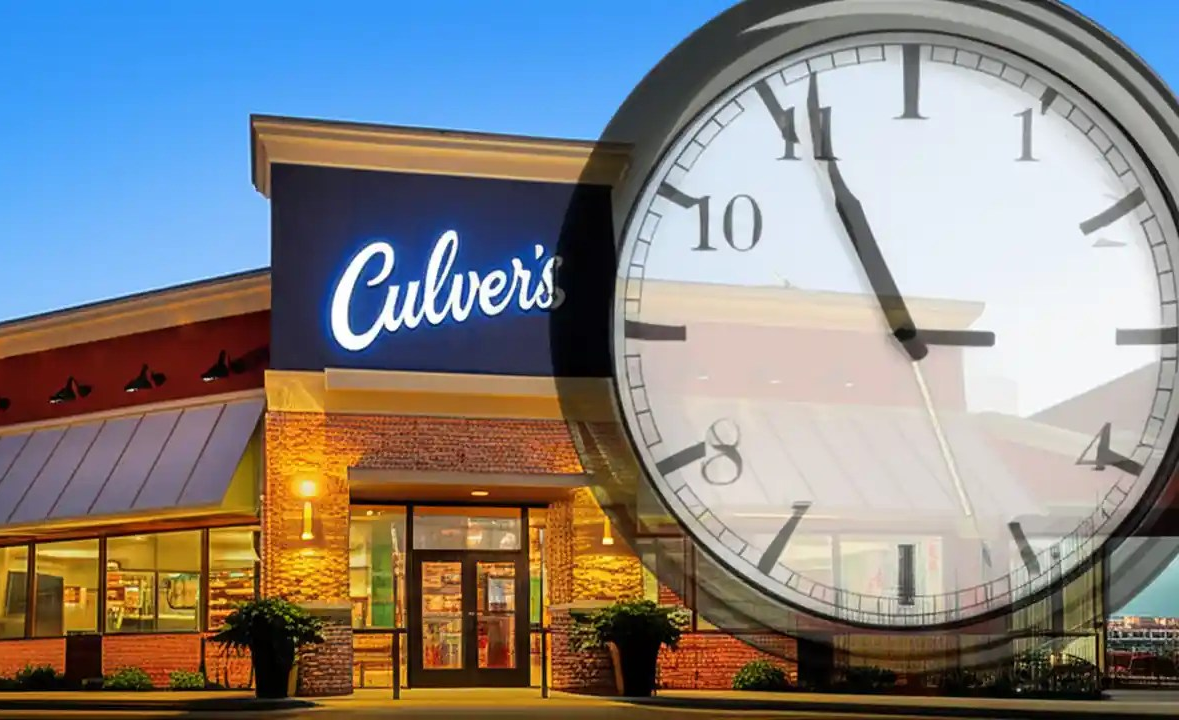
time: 10:55
